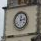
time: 12:12
